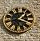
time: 1:18
